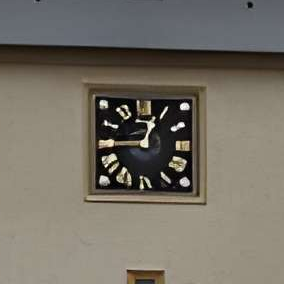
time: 12:44
